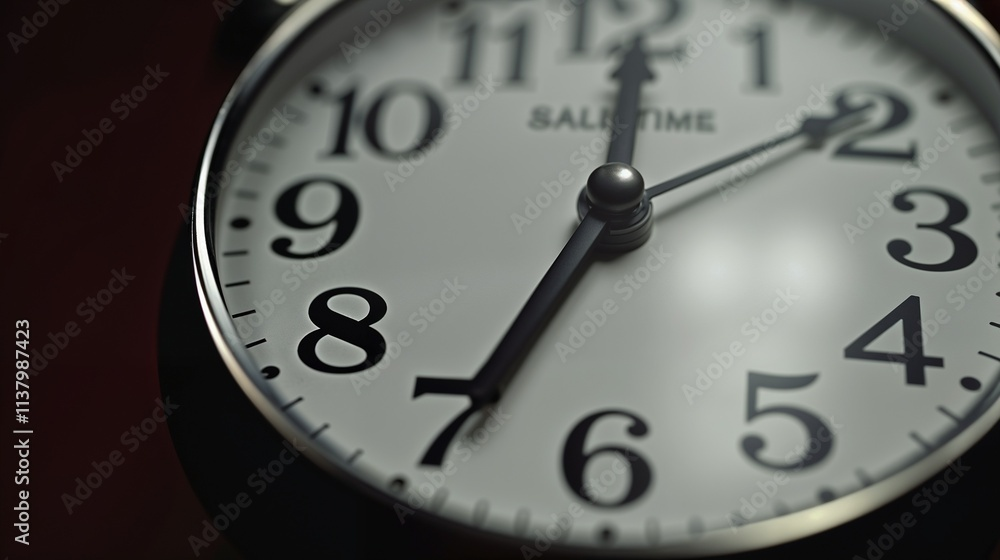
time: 12:09
